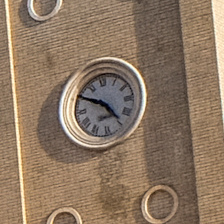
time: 4:50
